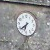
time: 6:38
